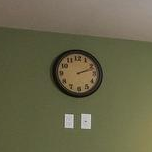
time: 2:11
